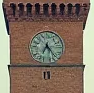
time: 6:23
